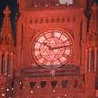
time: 10:13
